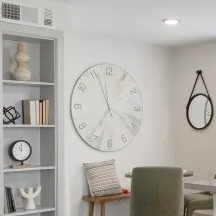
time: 11:56
